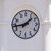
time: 1:43
